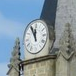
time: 11:55
